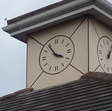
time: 3:54
